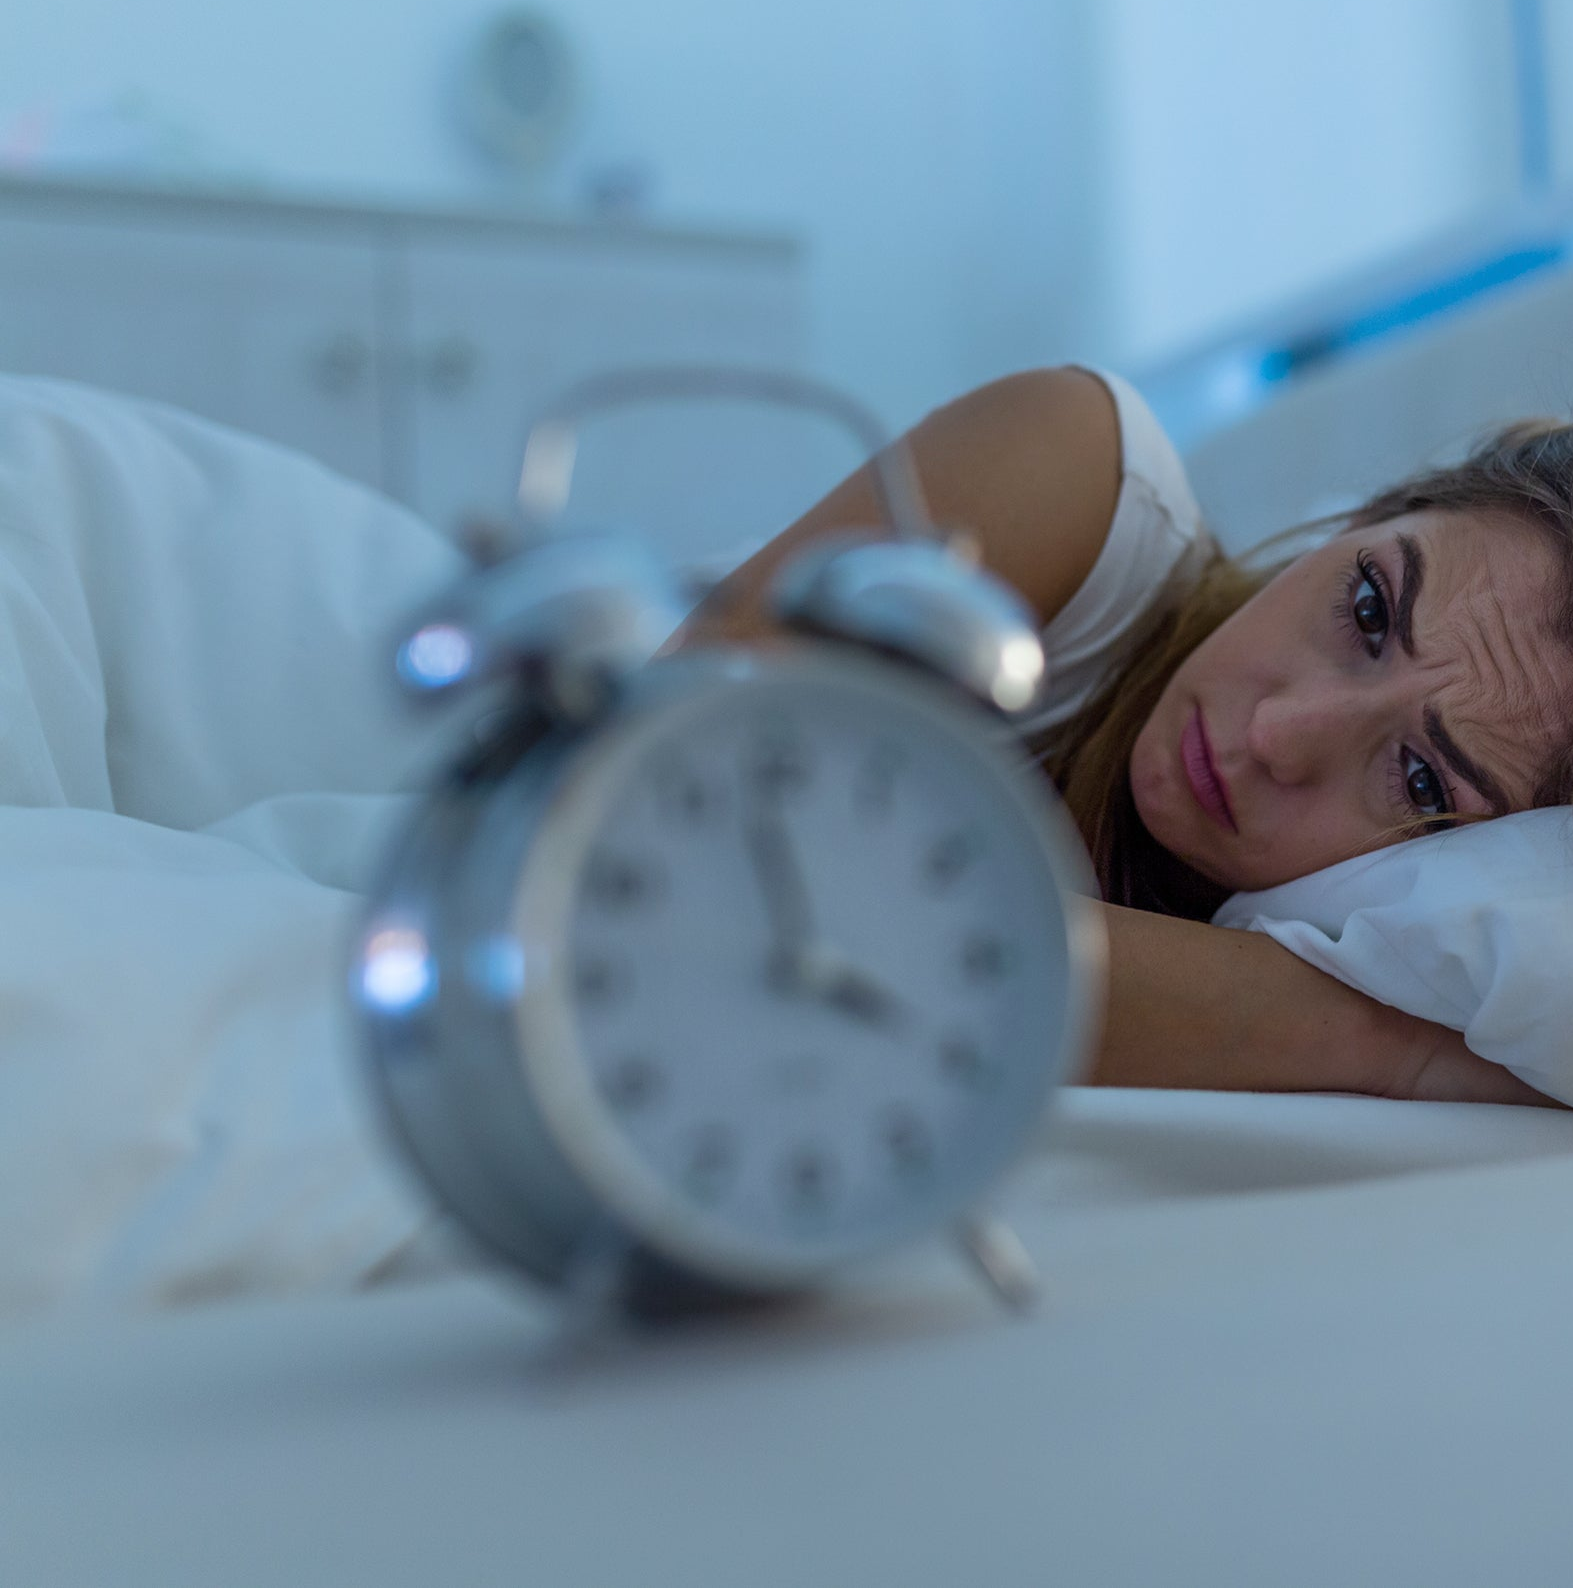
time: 3:58
